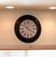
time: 10:20
